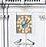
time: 1:11
